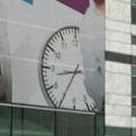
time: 8:35
